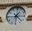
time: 1:22
